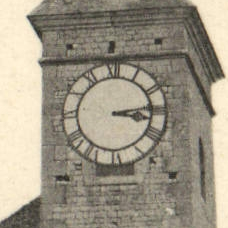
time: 3:13
